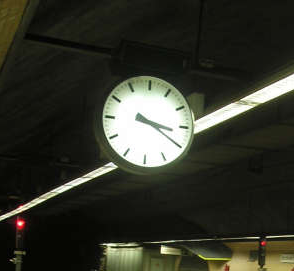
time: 3:19
